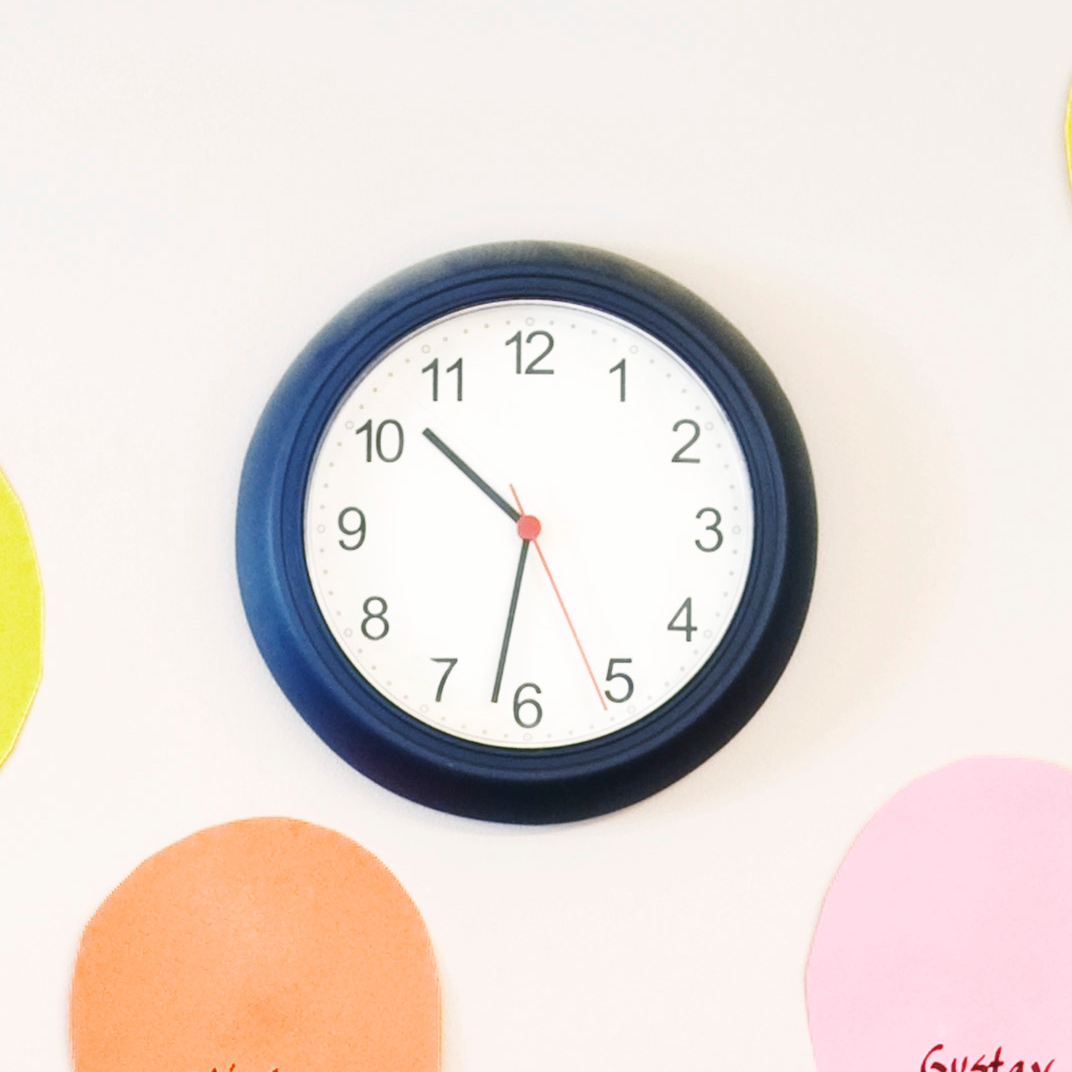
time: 10:31
